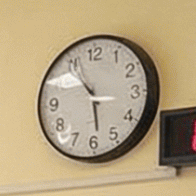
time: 5:54
